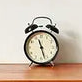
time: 11:27
